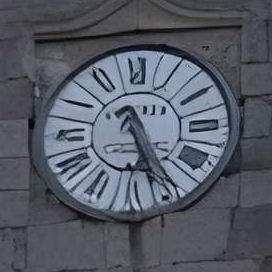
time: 5:26
